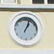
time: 1:03
